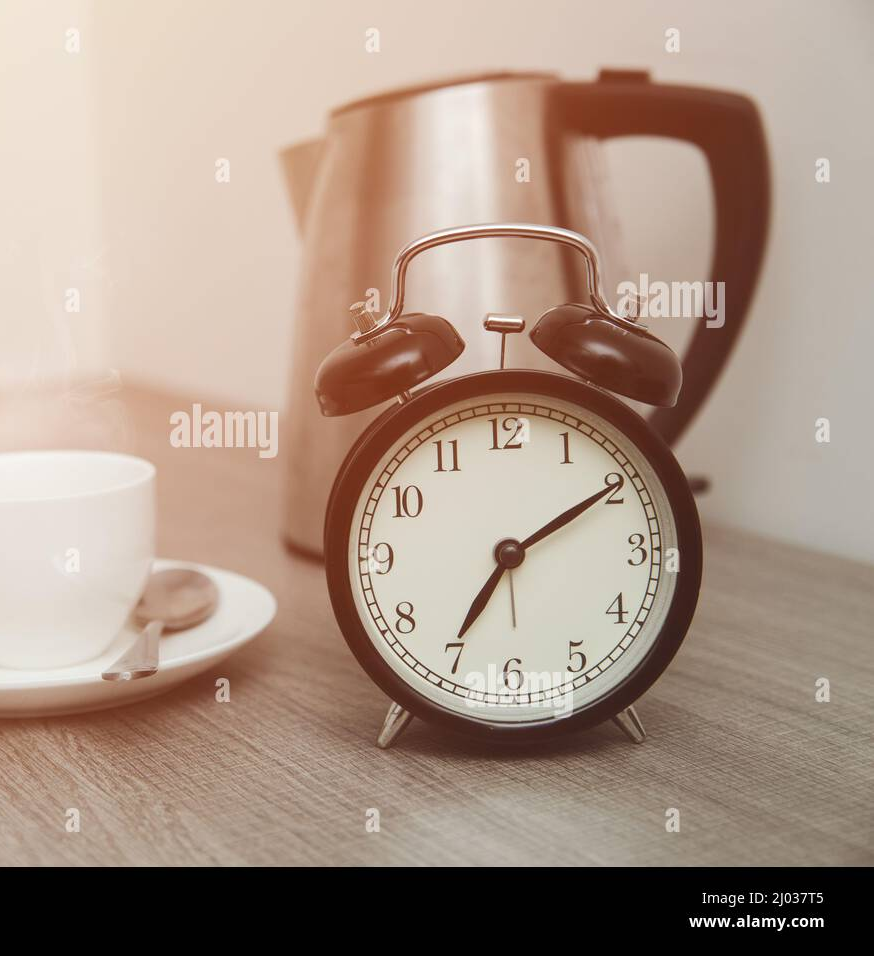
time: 7:09
